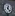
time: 12:23
